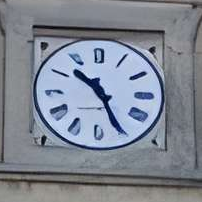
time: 10:26
